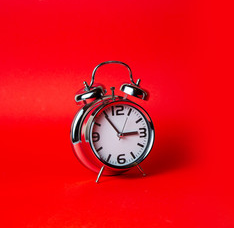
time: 2:54
